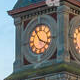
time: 3:54
